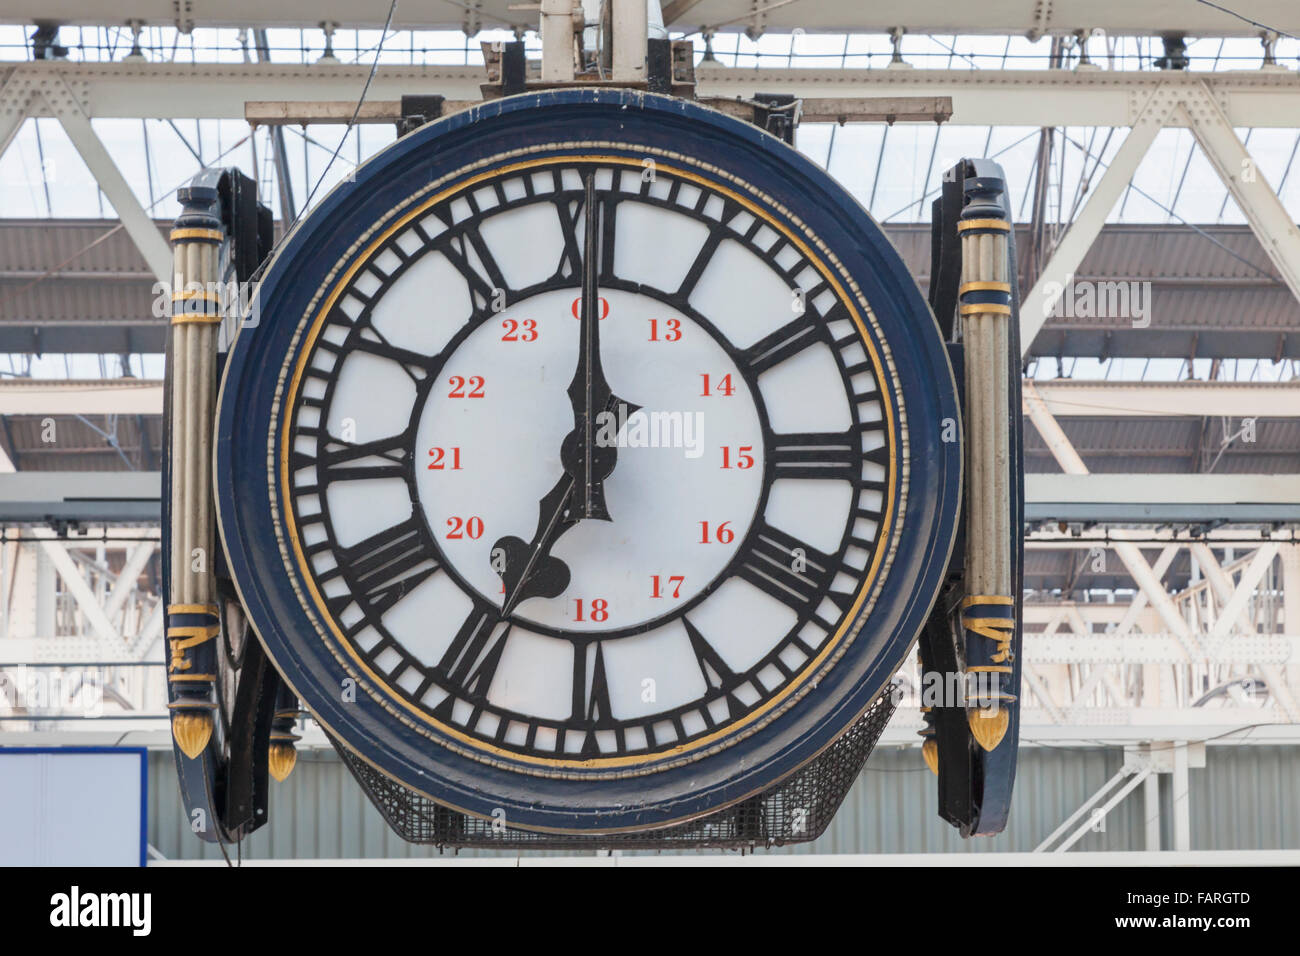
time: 7:00
